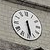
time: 5:28
